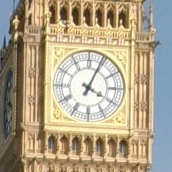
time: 4:04
